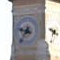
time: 9:36
